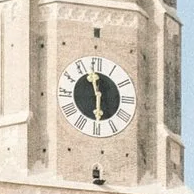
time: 5:57
